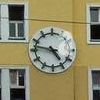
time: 4:47
